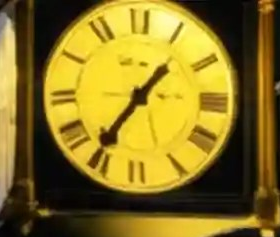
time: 1:36
